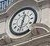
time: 12:32
